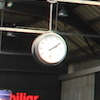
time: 2:09
